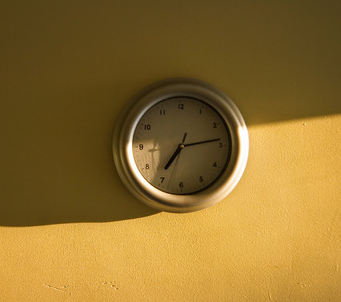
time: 7:13
